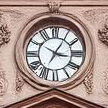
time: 3:05
